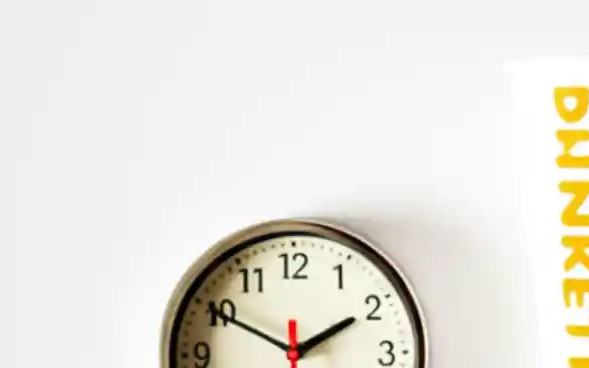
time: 1:50
